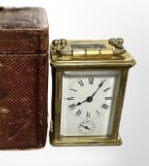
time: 8:06
